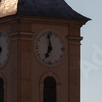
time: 6:58
